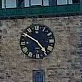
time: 4:50
